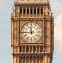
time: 11:44
